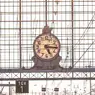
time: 5:15
